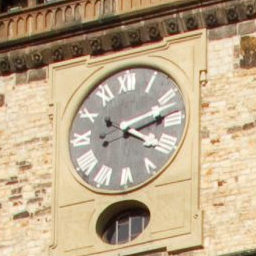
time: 4:12
